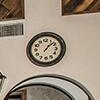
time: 1:07
